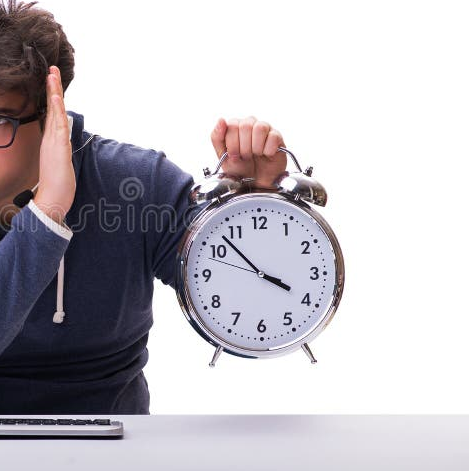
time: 3:52
